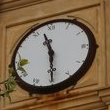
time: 11:29
